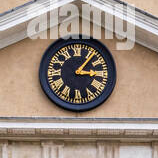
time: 3:06
